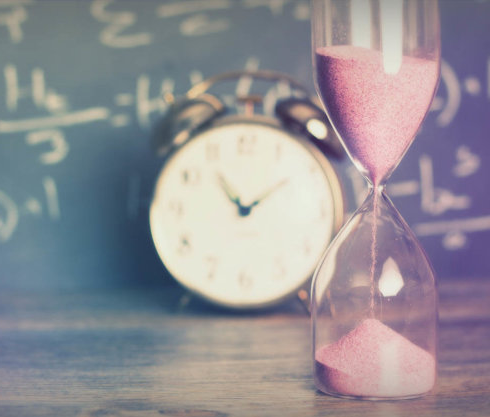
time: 1:53
